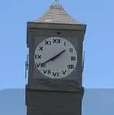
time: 1:39
